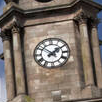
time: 1:51
